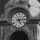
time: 5:14
